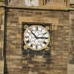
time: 2:52
